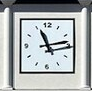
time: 11:13
